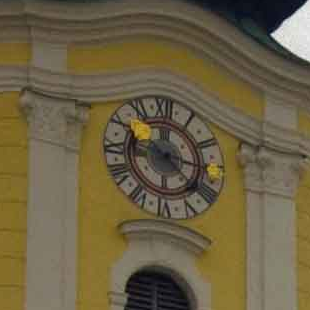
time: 4:16
